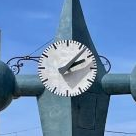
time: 2:07
